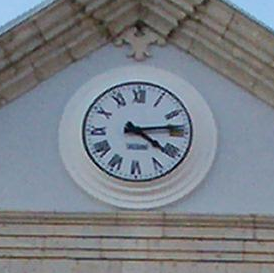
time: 4:13
